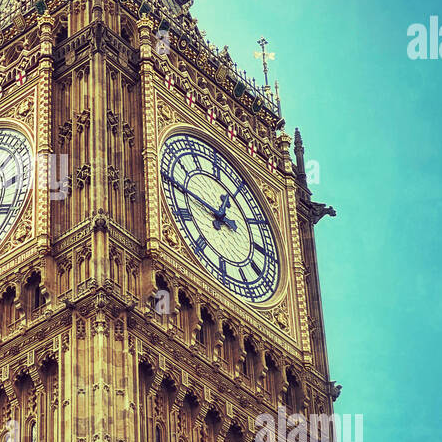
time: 1:46
